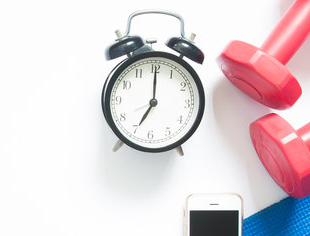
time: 7:00
